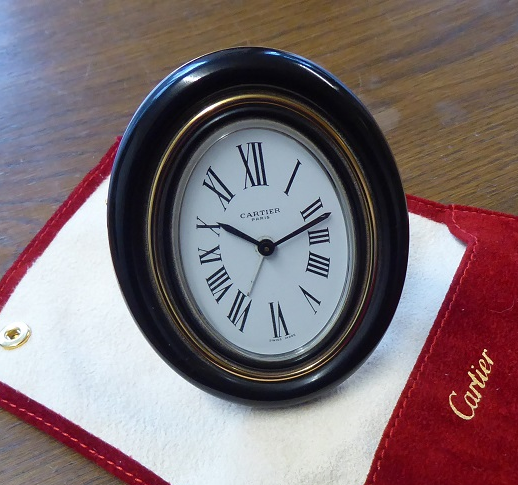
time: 9:10
